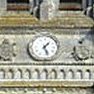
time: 1:26
